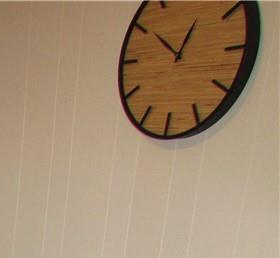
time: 12:50
